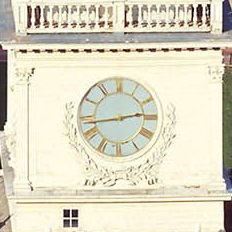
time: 2:43
